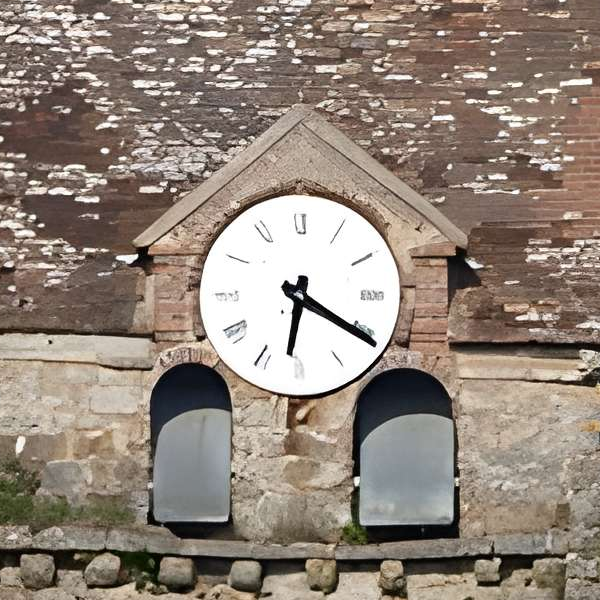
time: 6:20
